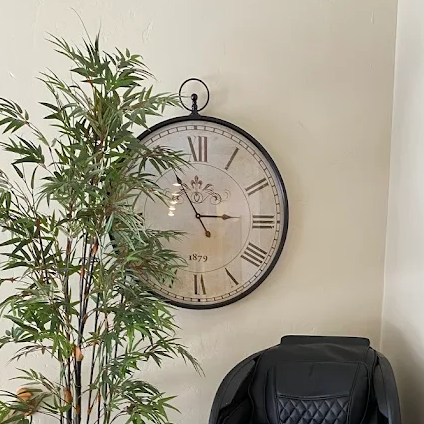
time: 2:55
